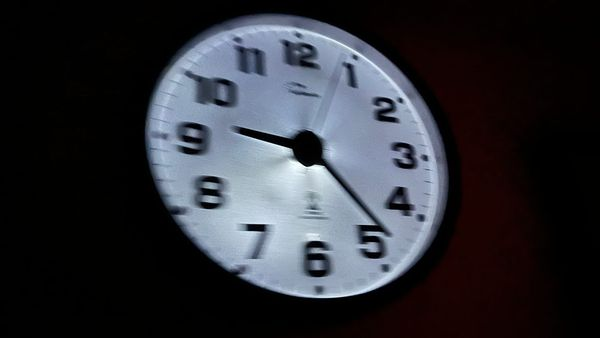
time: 9:23
